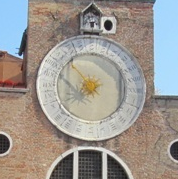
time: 7:53
